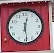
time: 12:28
